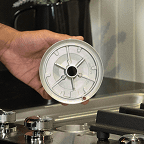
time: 1:50
